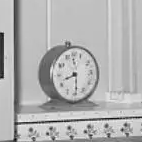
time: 8:29
